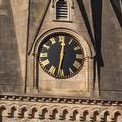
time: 12:32
